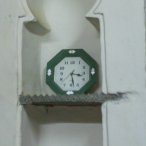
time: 3:28
